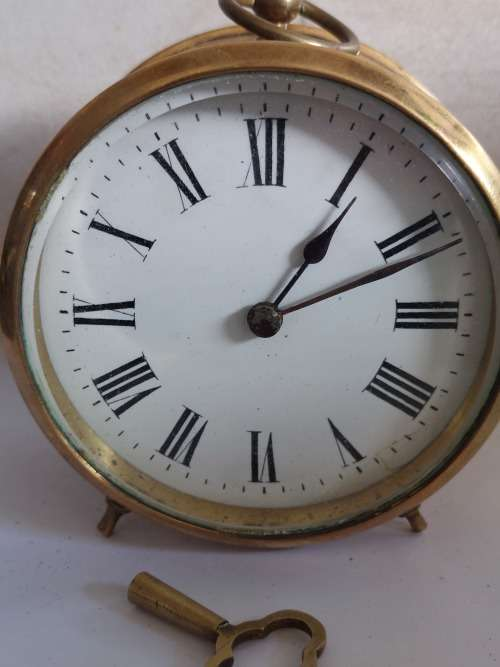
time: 1:11
